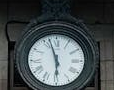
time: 5:57
